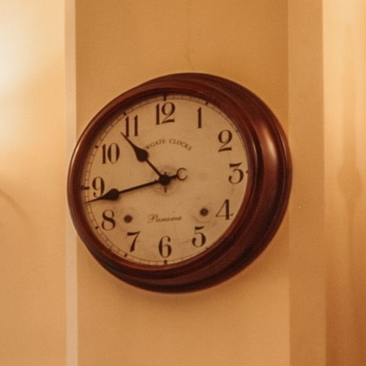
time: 10:43
